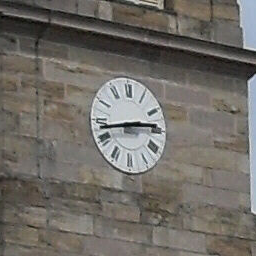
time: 2:42
